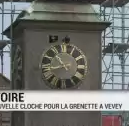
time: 10:43
